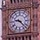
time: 9:22
